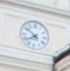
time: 7:52
